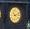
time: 10:12
